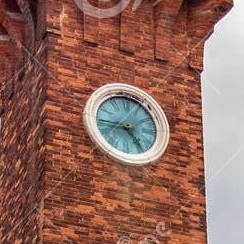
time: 4:44
